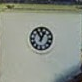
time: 12:55
